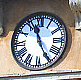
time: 11:25
